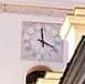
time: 4:00
